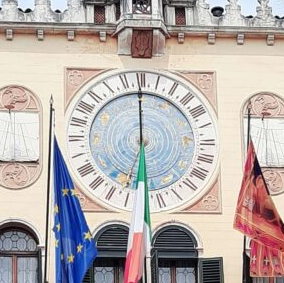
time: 5:59
